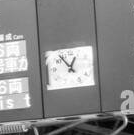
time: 12:53
